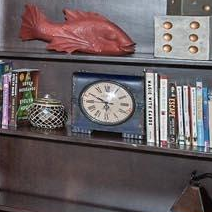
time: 5:50
